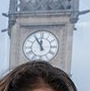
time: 11:55
